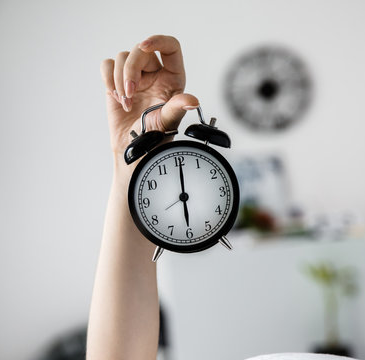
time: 6:00
